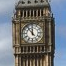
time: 11:53
